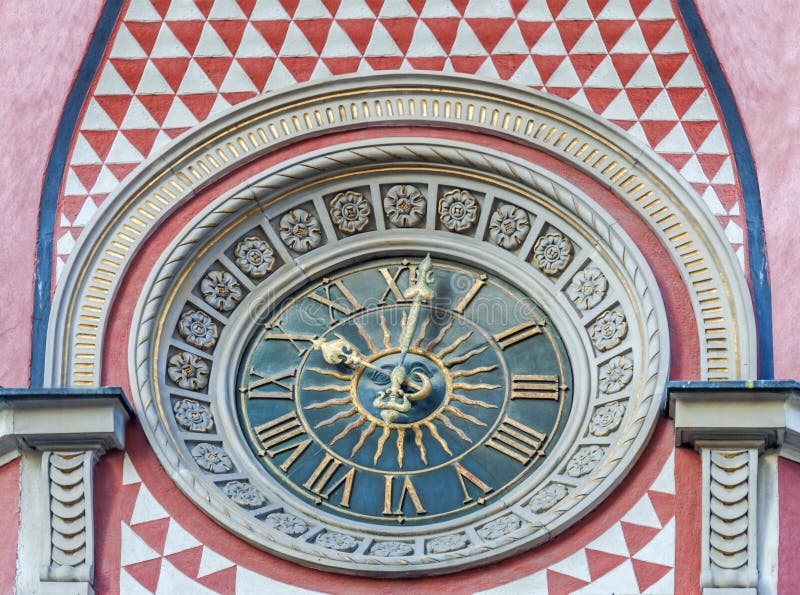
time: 10:01
